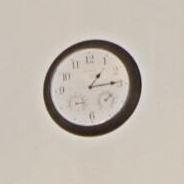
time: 1:14
